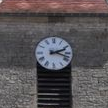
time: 2:18
